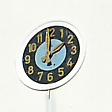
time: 2:00
